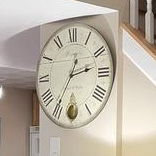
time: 2:35
